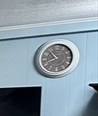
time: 10:41
